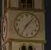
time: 7:07
